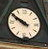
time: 9:50
